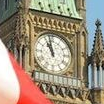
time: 10:58
